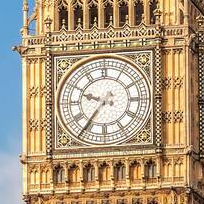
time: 9:36
